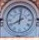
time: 8:01
